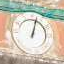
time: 1:02
